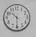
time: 10:30
